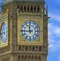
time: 11:44
